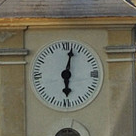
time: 6:02
